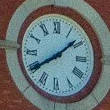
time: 1:39
